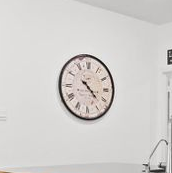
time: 4:22
